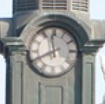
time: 11:40
